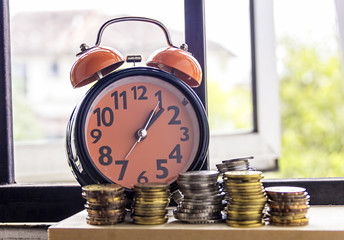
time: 1:07
